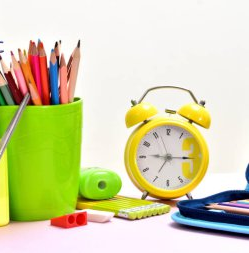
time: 9:15
